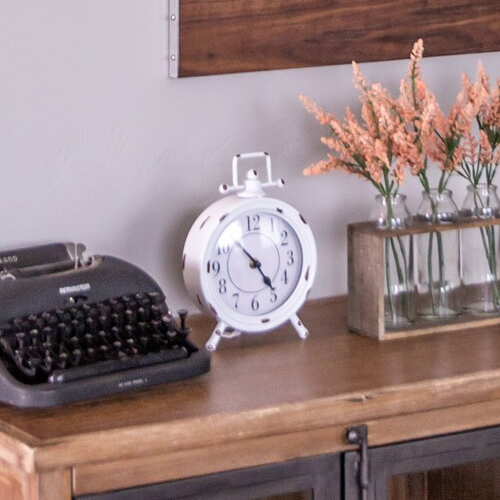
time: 4:52
